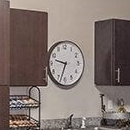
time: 9:33
